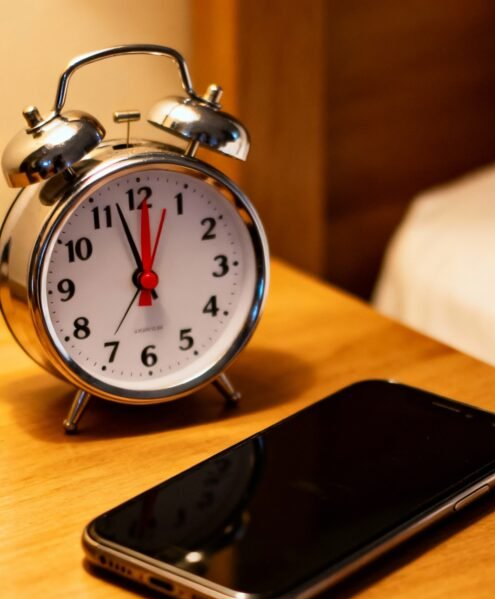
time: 11:57
